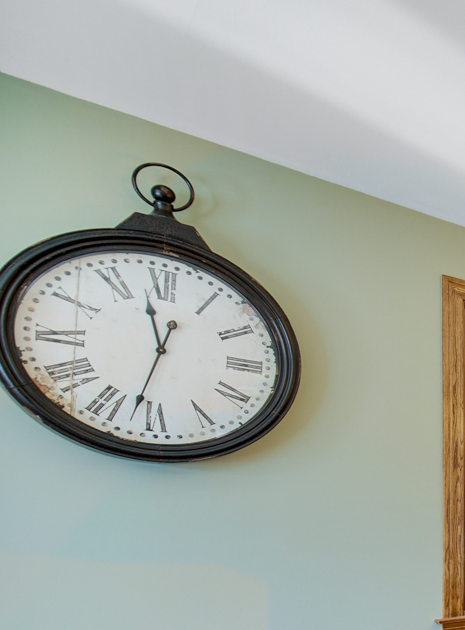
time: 11:32
